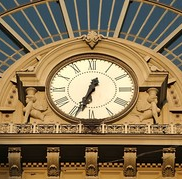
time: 12:33
